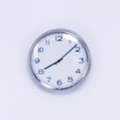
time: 8:08
